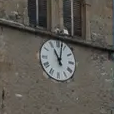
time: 11:02
